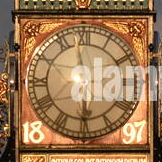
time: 5:58
